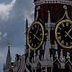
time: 1:20
